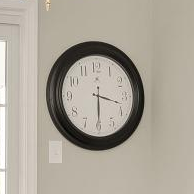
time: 3:29
